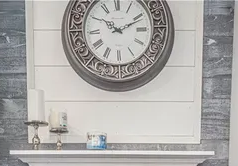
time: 10:11
